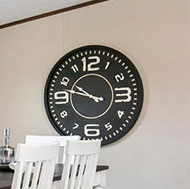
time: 9:47
